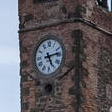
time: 5:13
